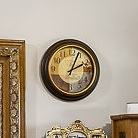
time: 2:03
